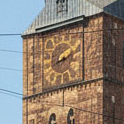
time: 8:11
